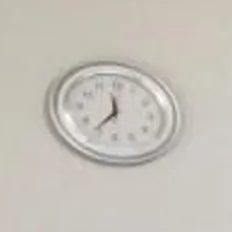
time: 11:35
